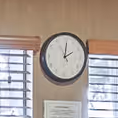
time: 2:01
